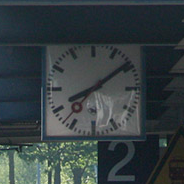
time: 8:09
